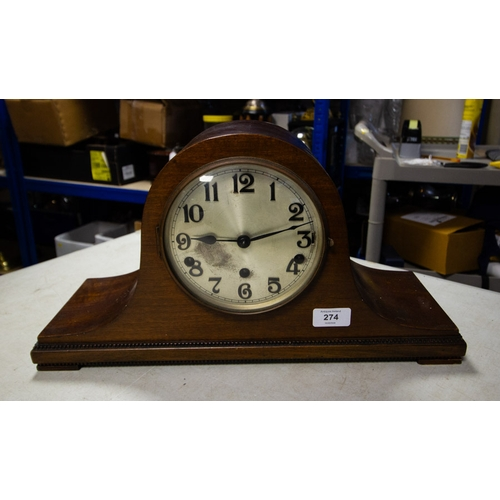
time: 9:12
